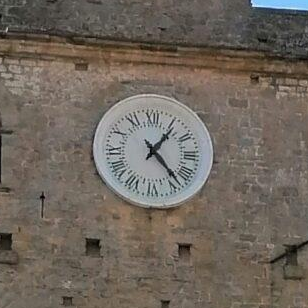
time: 1:23
